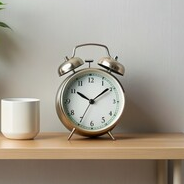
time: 10:09
